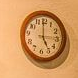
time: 4:59
